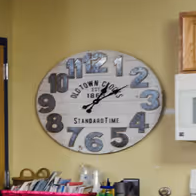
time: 1:10
